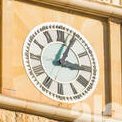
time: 3:04
